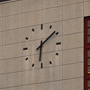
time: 6:08
